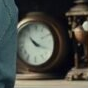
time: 10:18
